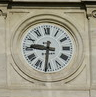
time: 9:31
